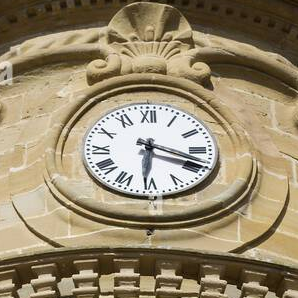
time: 6:18
